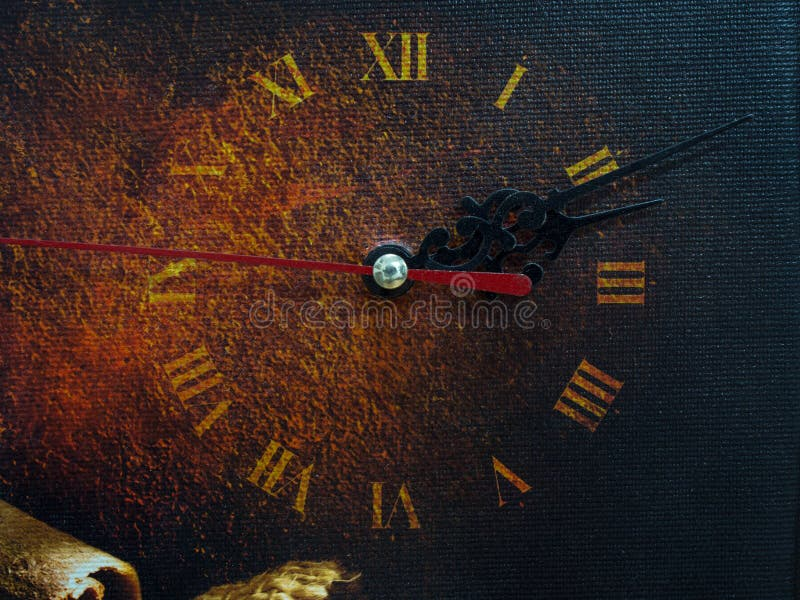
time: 3:11
